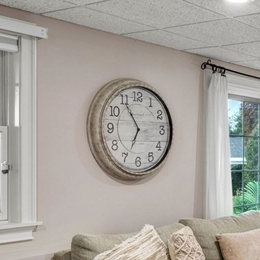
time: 6:54
